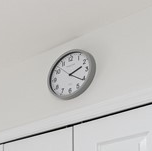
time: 2:21
